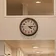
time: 4:13
